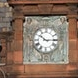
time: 10:14
